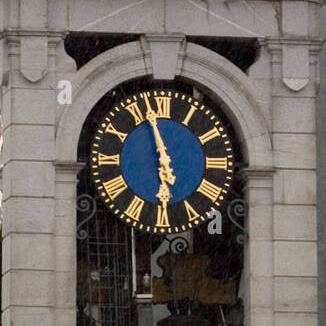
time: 5:57
